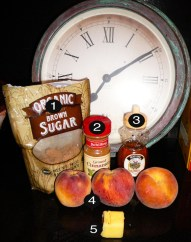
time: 7:09
